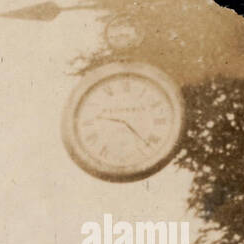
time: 9:22
